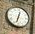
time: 12:32
